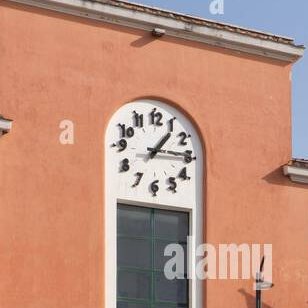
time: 1:14
